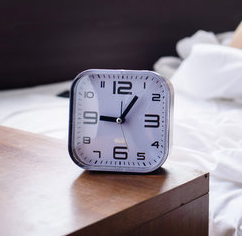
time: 9:06
